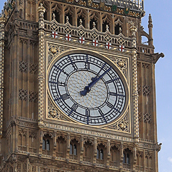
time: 1:07
